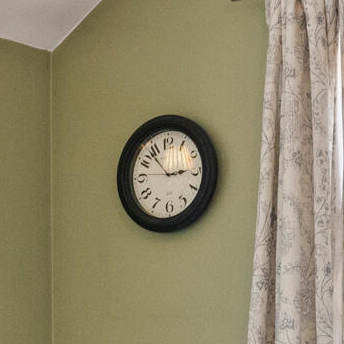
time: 2:53
